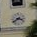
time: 3:39
